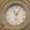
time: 6:06
